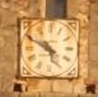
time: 4:49
